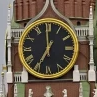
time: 6:59
